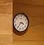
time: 3:35
